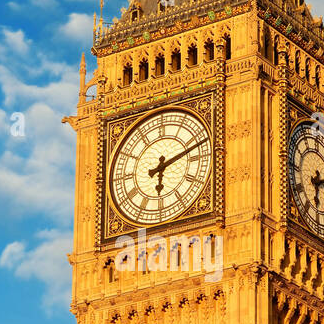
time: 6:12
